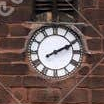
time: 2:10
